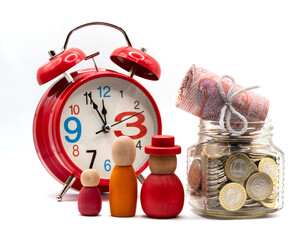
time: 11:55
